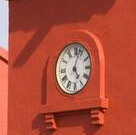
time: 5:03
